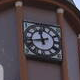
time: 11:42
